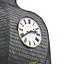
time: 2:39
